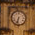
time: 6:32
